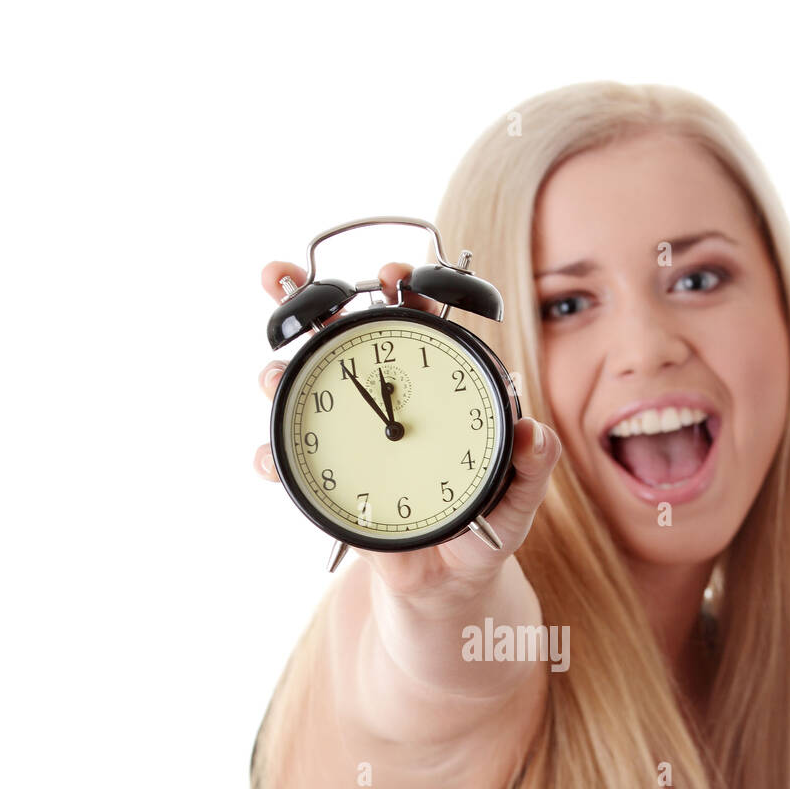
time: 11:54
